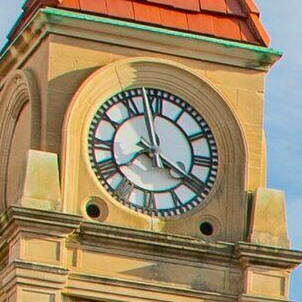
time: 3:57
